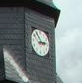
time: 2:54
